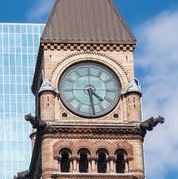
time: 4:28
